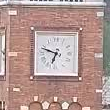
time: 6:48
